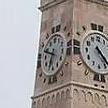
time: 6:47
